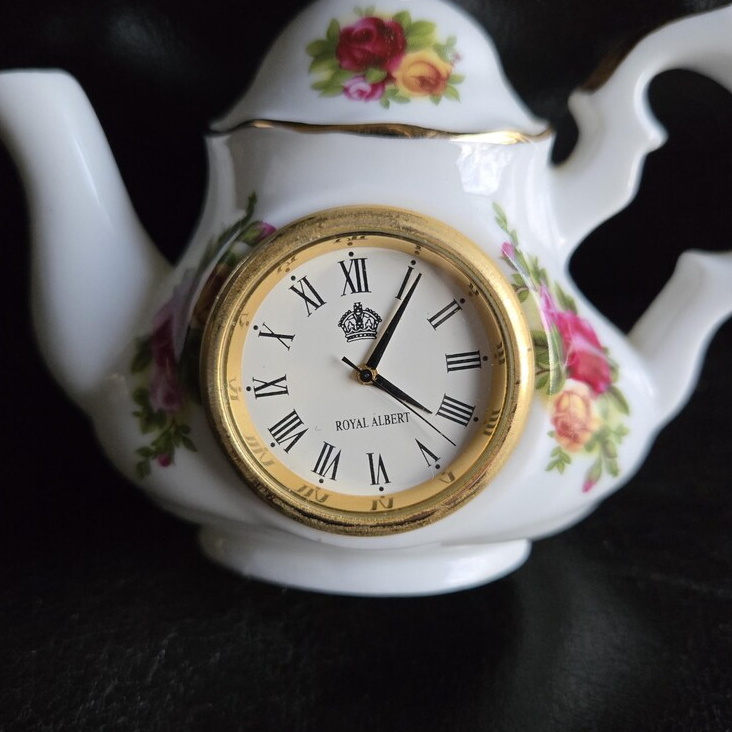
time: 4:05
